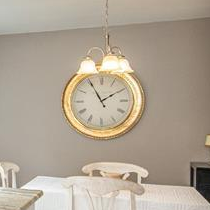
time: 1:55
